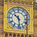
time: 10:28
